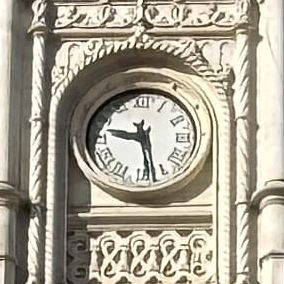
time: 9:28
